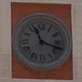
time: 11:18
